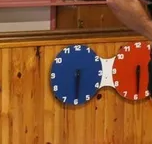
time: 6:30
